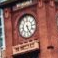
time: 5:26
